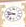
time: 8:48
